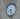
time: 8:27
